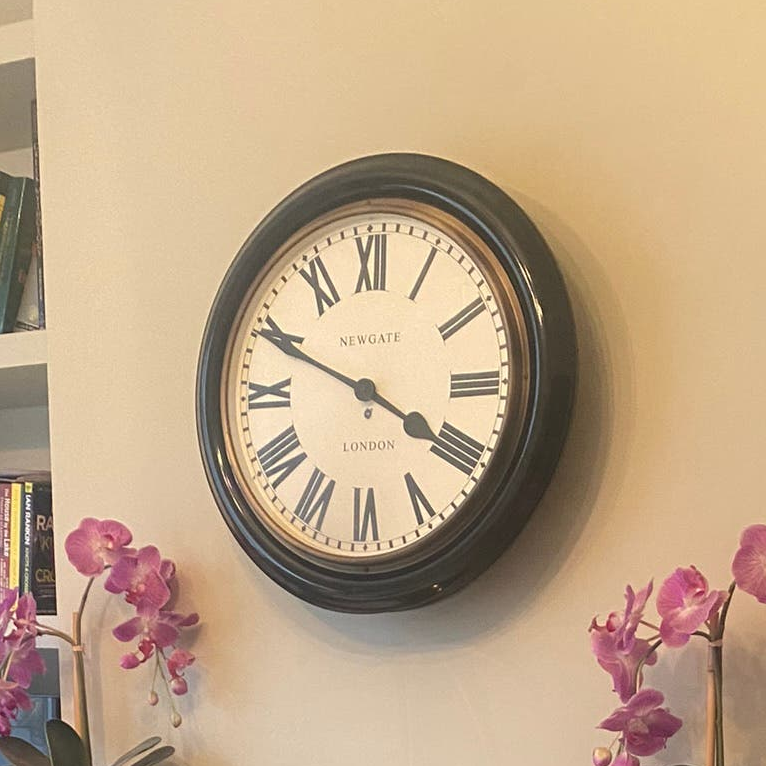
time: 3:49
